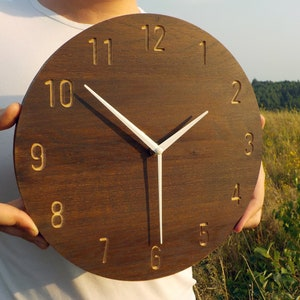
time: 1:51
